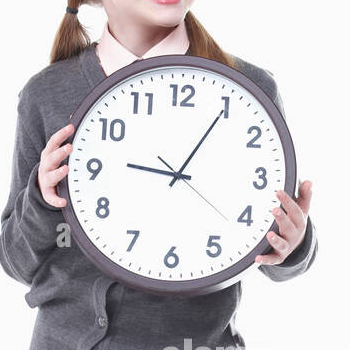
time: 9:05
